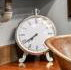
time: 7:39
